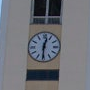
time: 12:30
